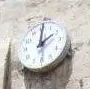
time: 2:01
